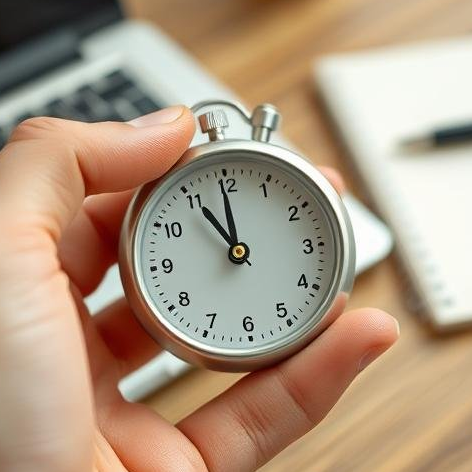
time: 10:59
